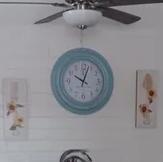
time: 10:03
